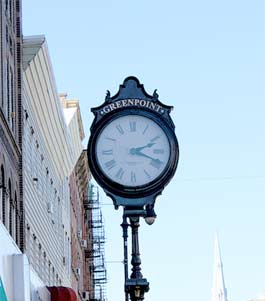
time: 2:18
